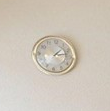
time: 1:12
